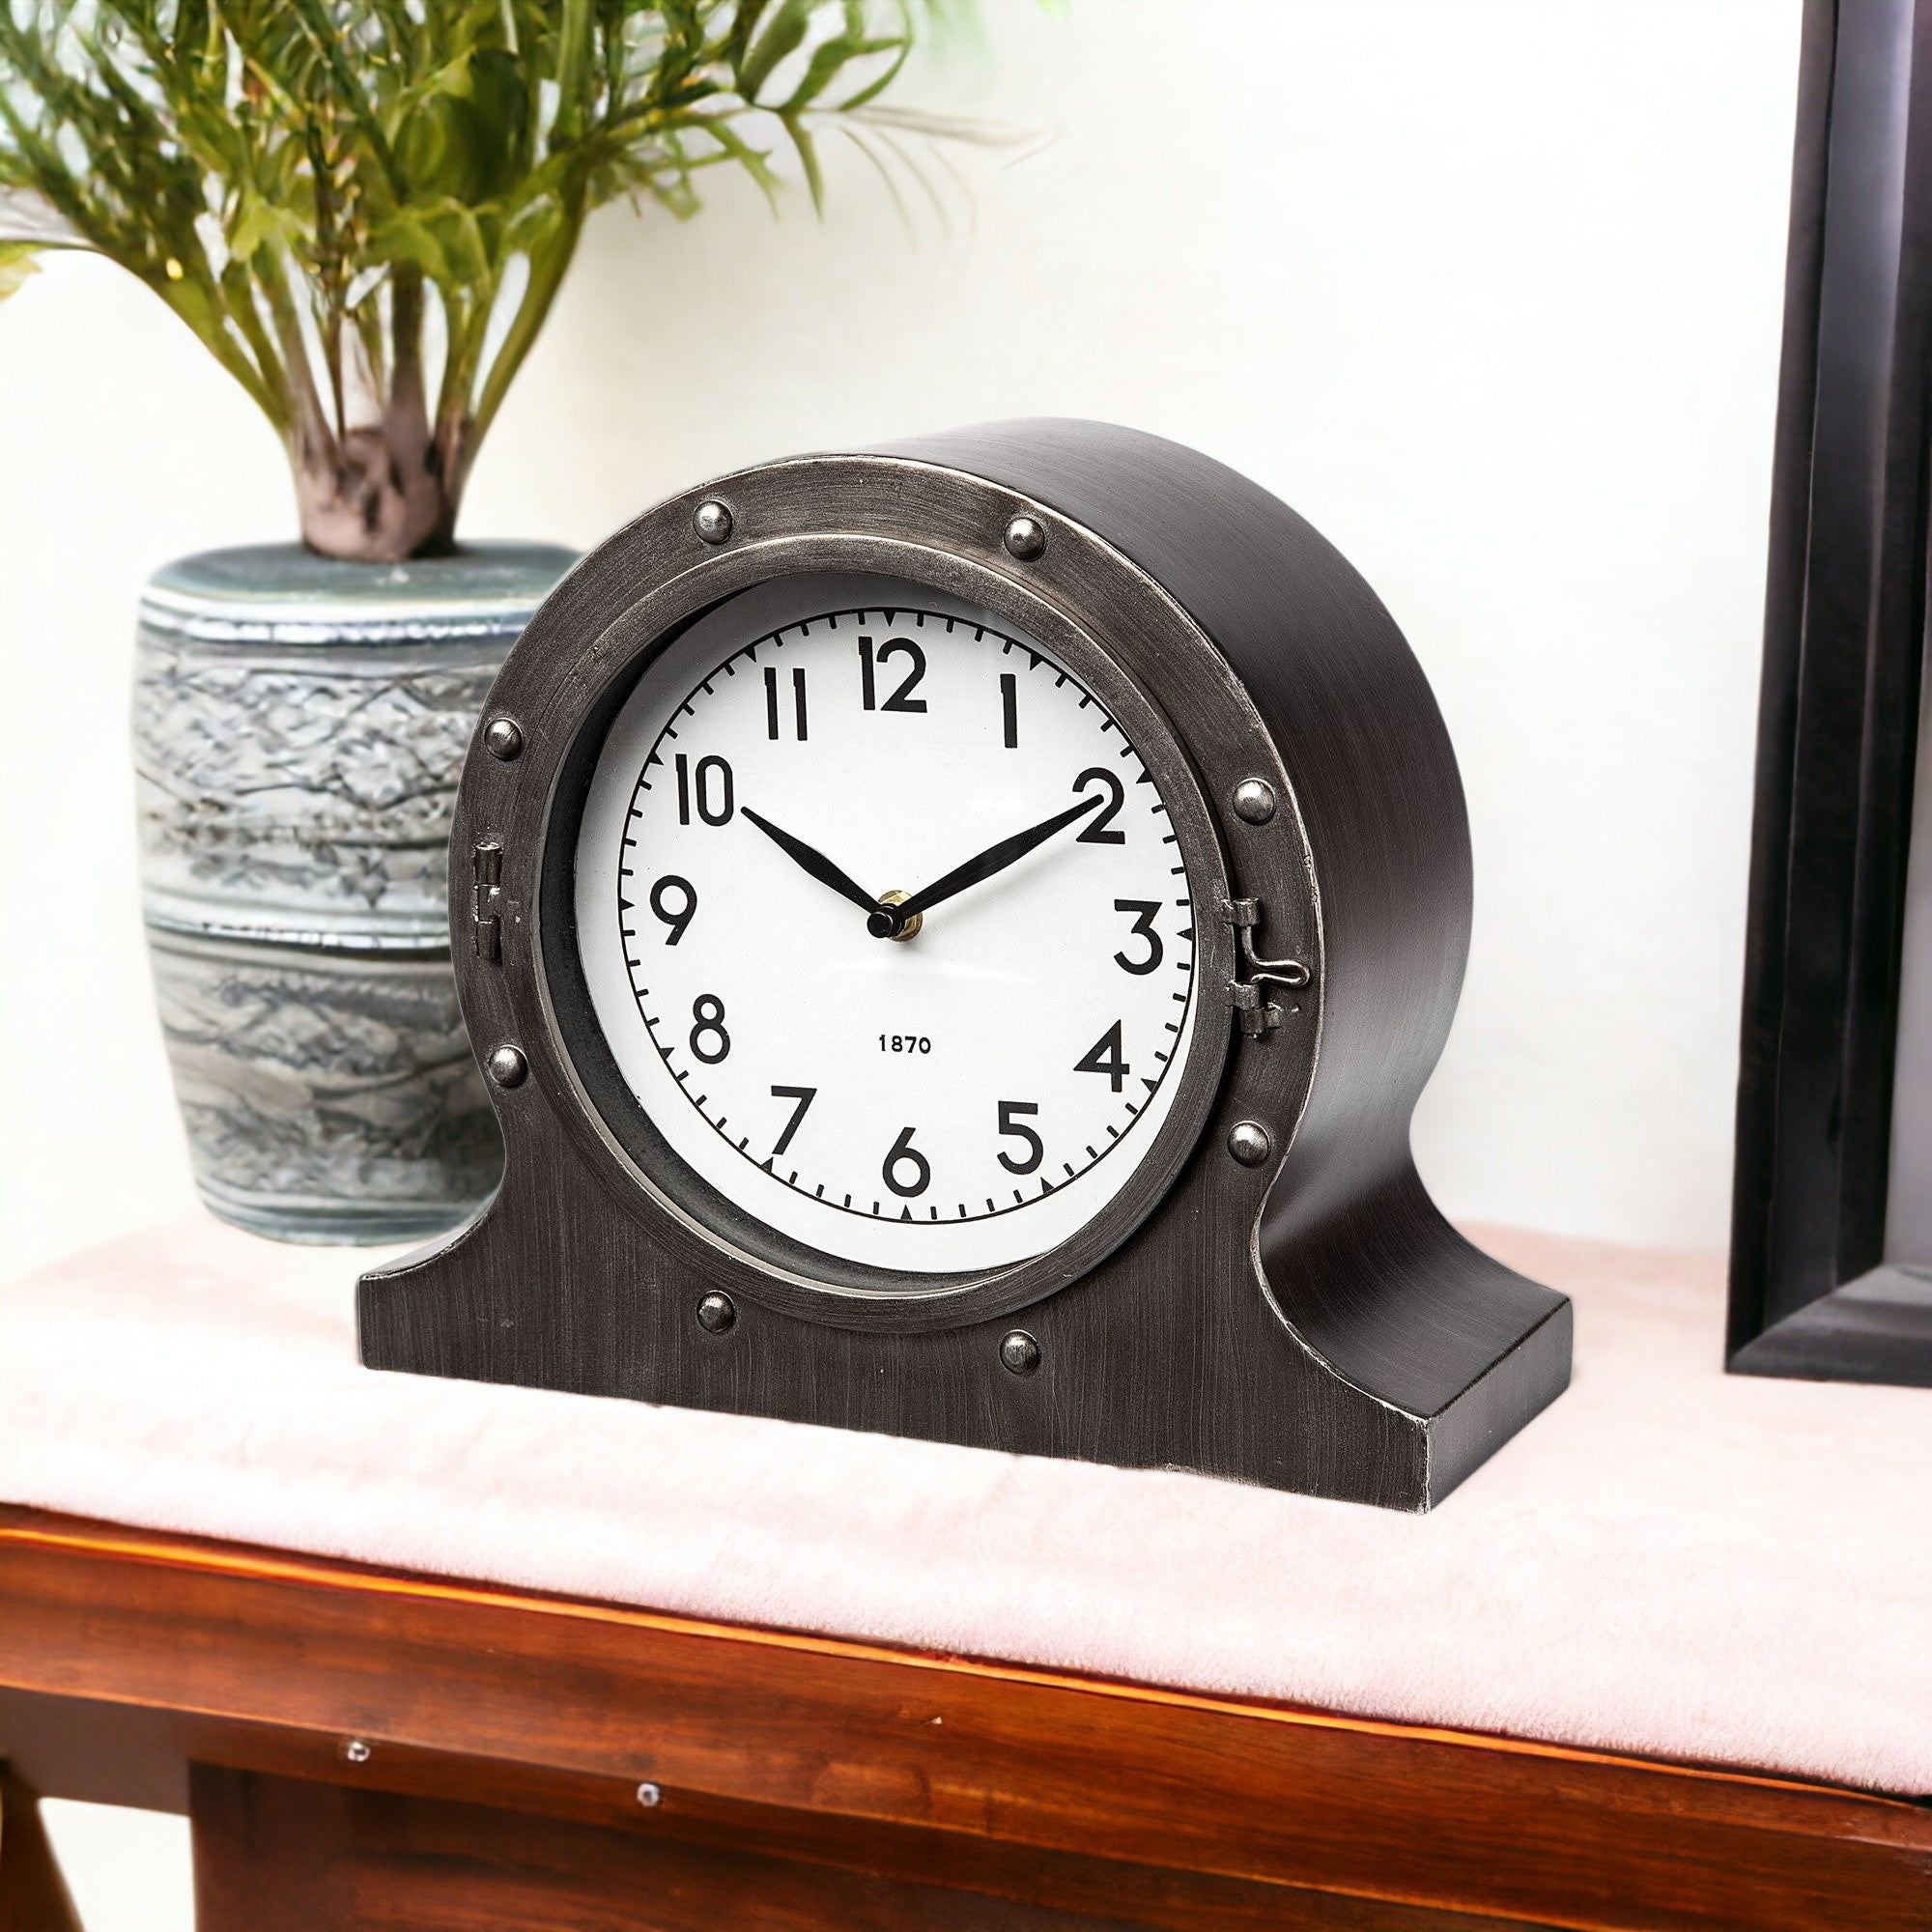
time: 1:50
